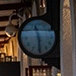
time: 11:29
